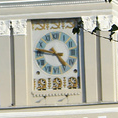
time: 4:46
